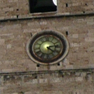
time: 4:13
